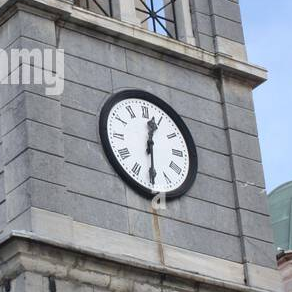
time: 12:30
